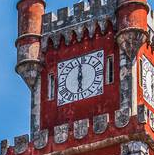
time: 6:00
